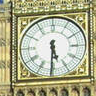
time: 5:30
